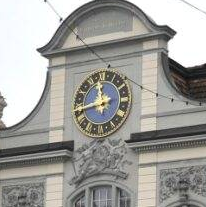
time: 11:42
